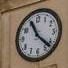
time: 11:22
